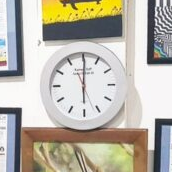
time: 6:00
